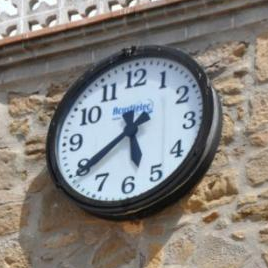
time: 5:39
